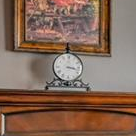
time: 3:17
